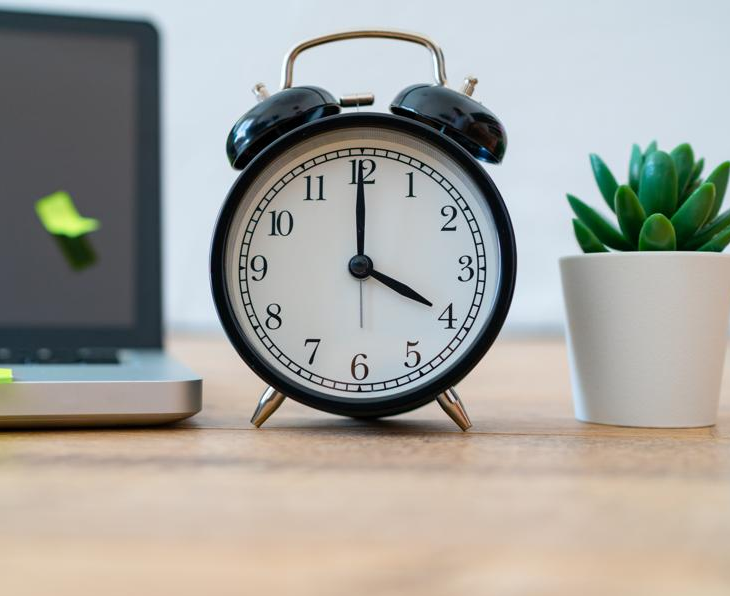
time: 4:00
